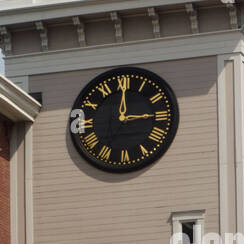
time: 3:00
